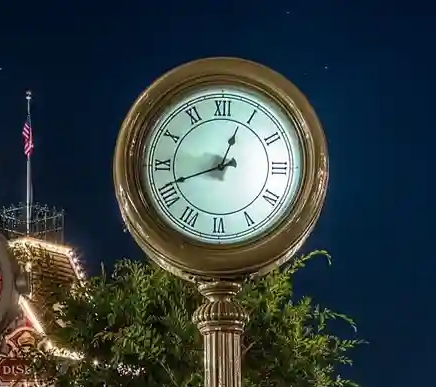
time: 12:41
